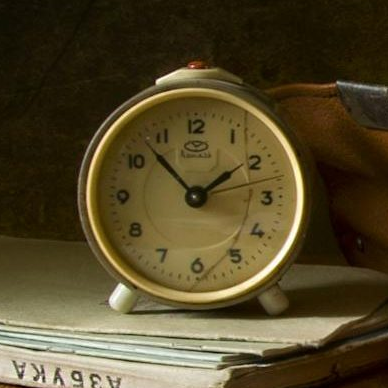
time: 1:52
